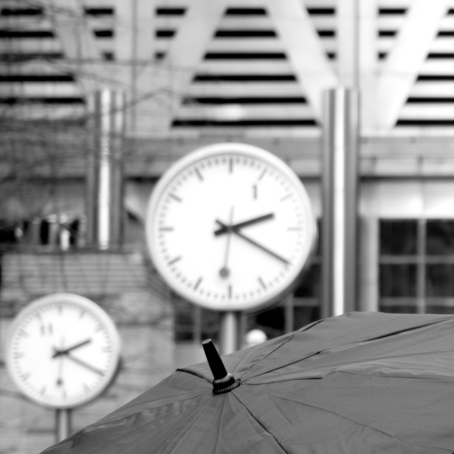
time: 2:20
